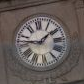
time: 1:46
